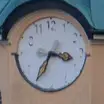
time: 3:34
